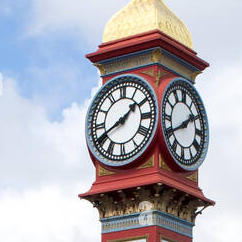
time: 1:40
